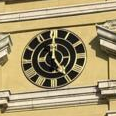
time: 4:59
